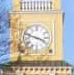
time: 3:48
